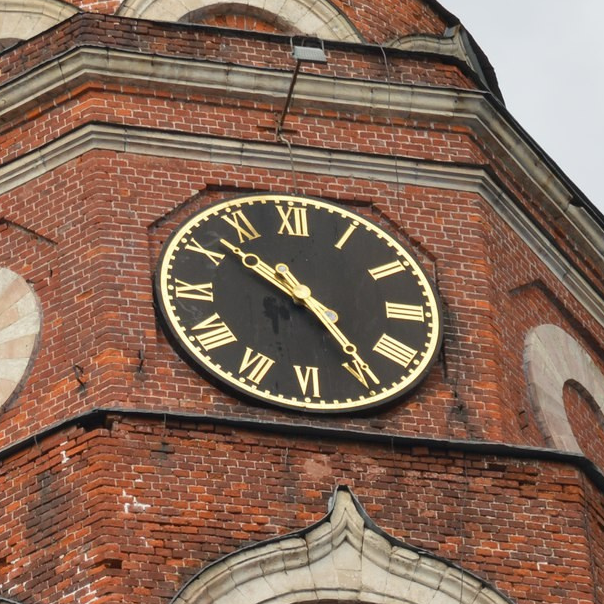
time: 10:24
